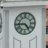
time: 4:44
